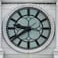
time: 7:46
